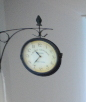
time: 10:36
